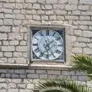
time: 1:28
